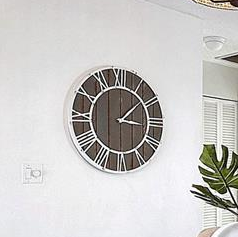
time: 3:07
